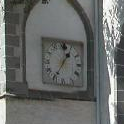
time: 1:35
